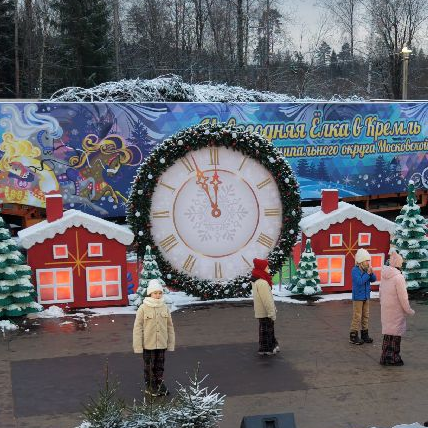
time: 11:55
